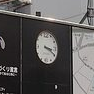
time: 3:19
